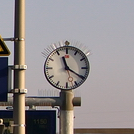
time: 11:20
